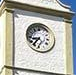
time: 8:36
